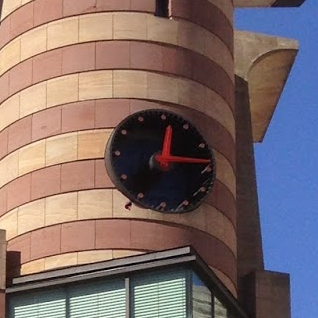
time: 12:14
